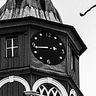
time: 8:43
